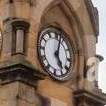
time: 5:02
